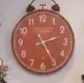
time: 2:24
